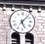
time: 5:06
